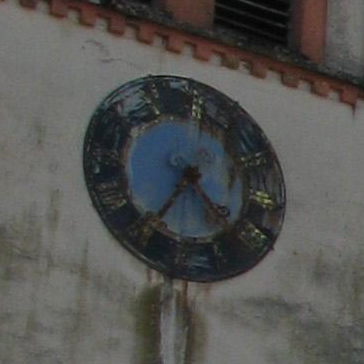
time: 4:35
